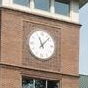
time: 11:07
